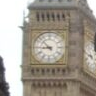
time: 8:52
